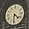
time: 4:31
